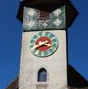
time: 2:40
